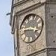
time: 9:17
